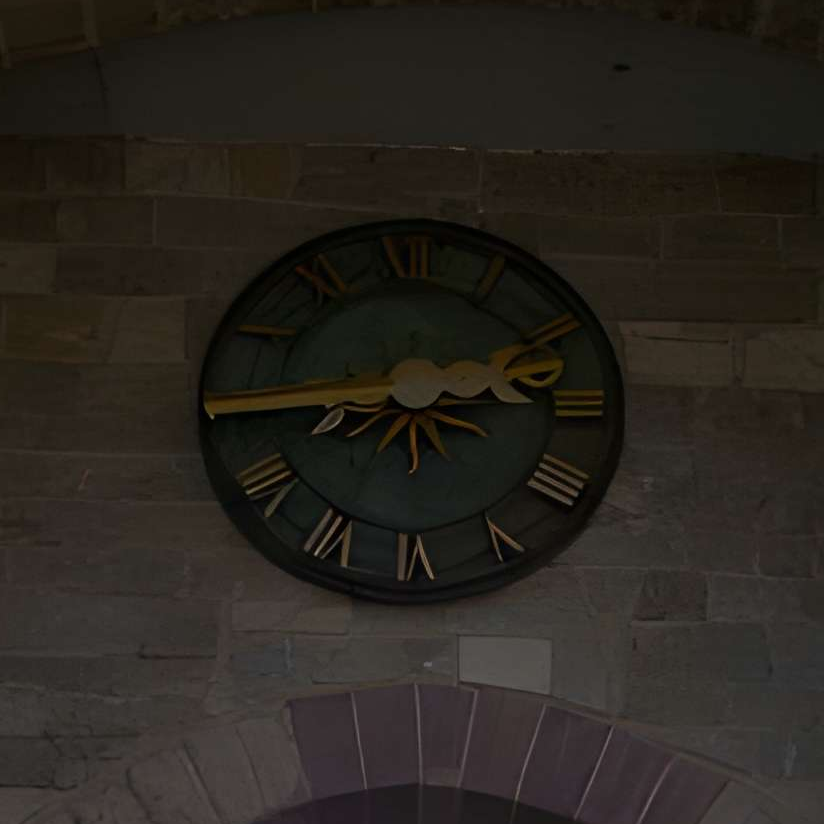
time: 2:44
